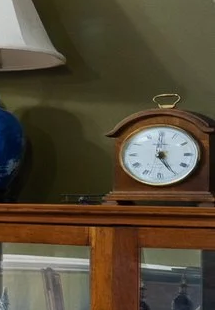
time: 5:00
